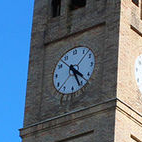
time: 4:26
